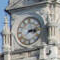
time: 3:12
